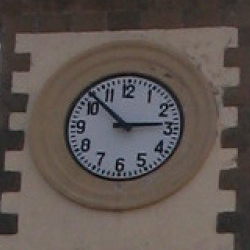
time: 2:52
